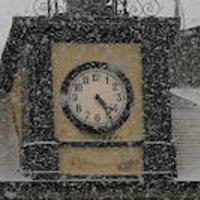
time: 4:24
